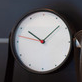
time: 10:07
